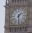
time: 1:29
